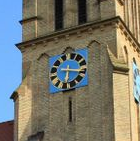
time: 6:17
